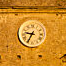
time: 9:34
